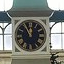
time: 11:55
